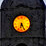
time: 6:25
